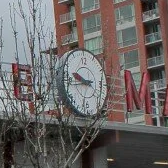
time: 9:45
